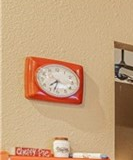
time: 7:32
